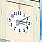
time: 3:09
